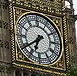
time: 6:39
